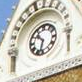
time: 10:32
